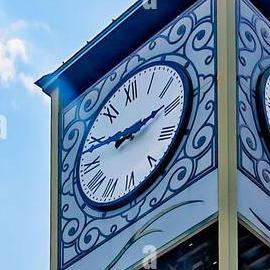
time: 9:14
